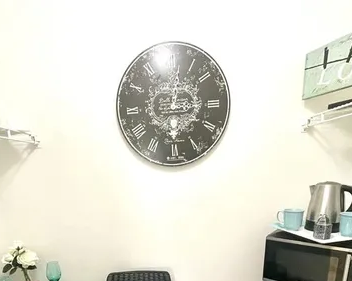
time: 3:02
